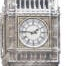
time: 1:46
